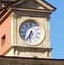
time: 6:34
